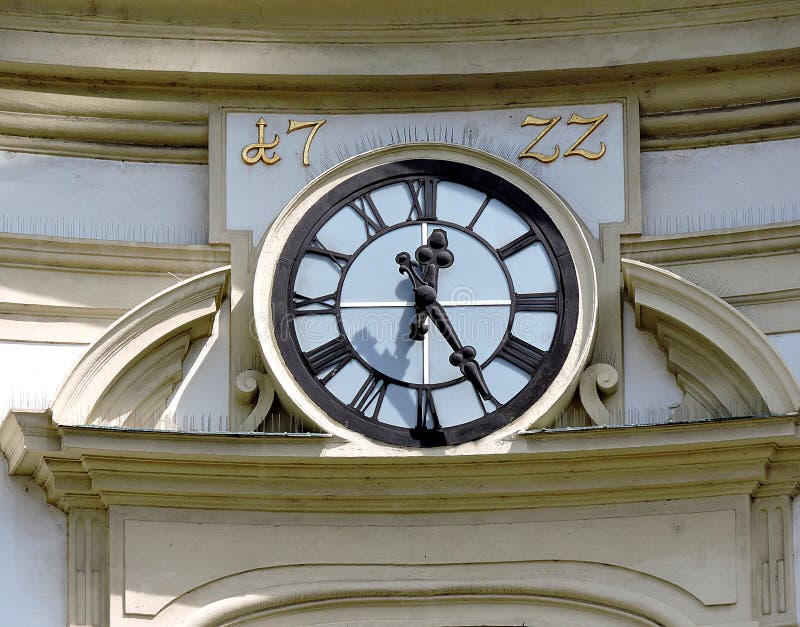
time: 12:24
